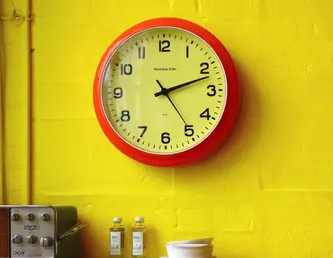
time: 2:11
